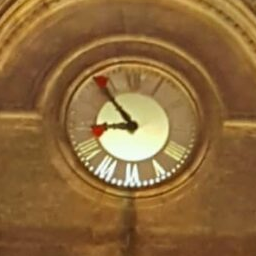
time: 8:53
